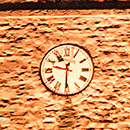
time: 9:30
